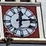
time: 12:13
